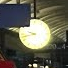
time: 9:42
